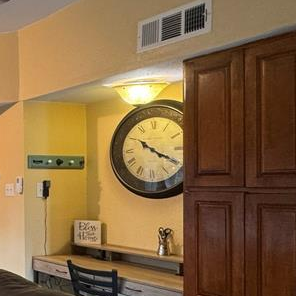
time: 10:19
